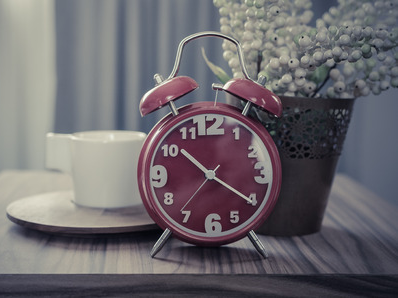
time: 10:20
